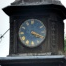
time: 4:19
